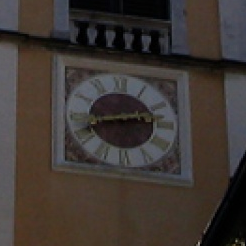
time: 2:42
